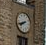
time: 7:41
